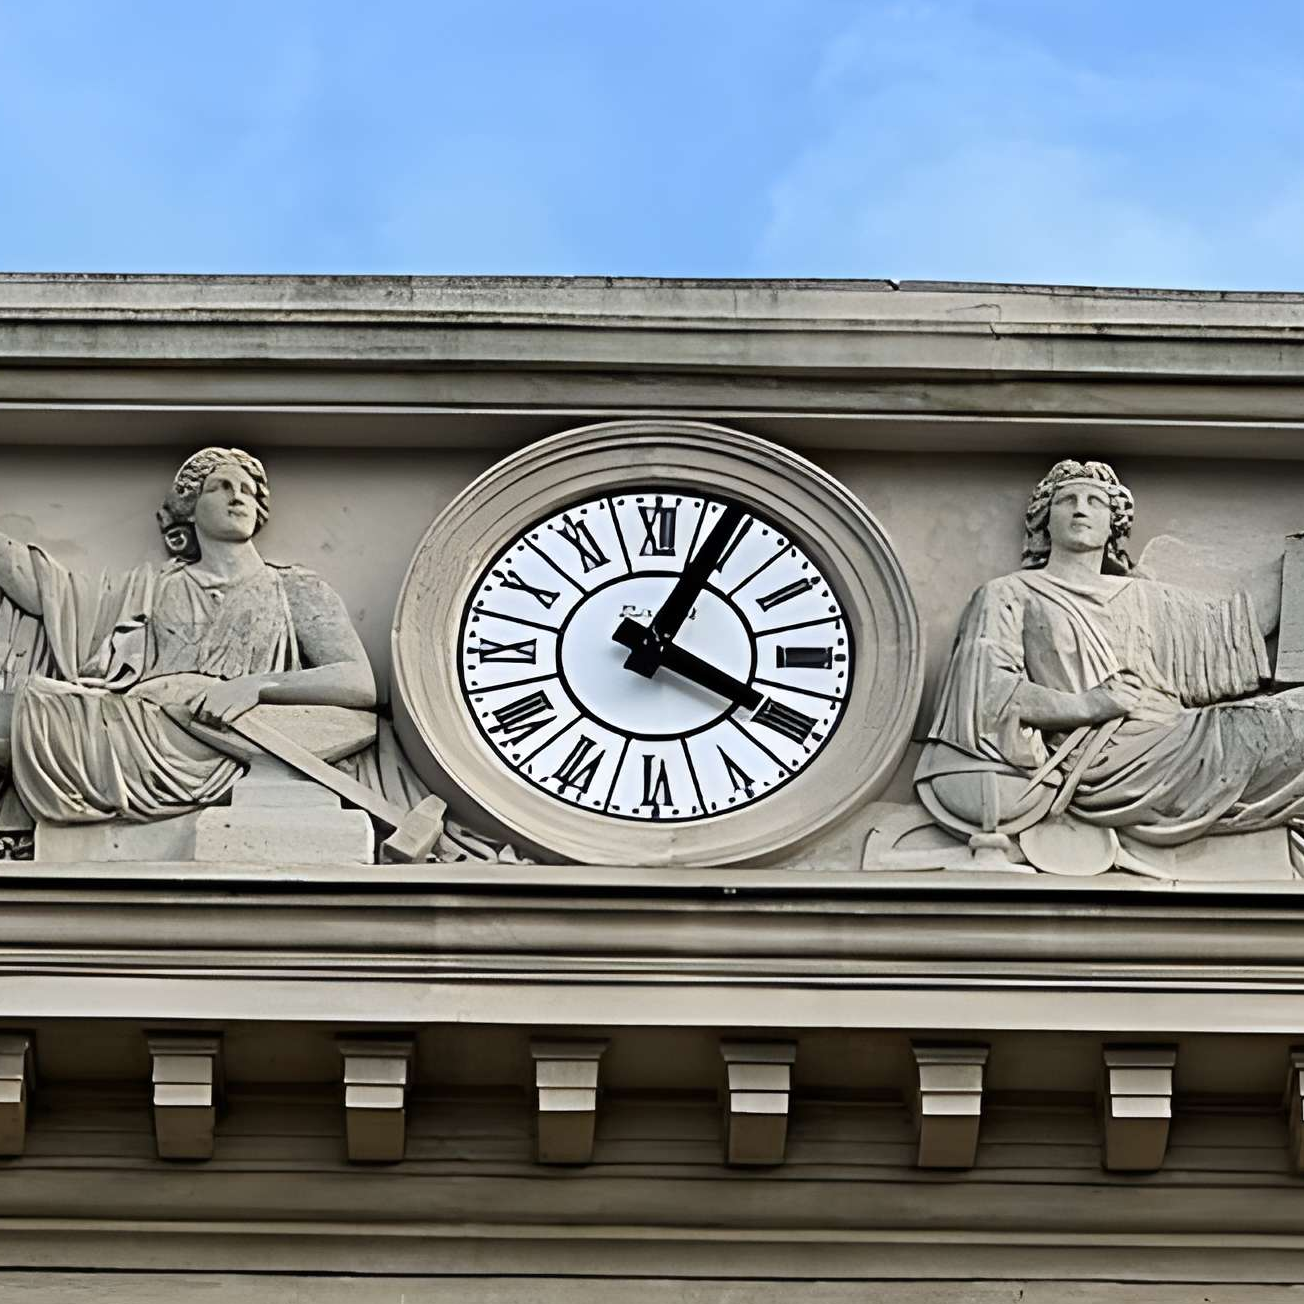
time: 4:04
